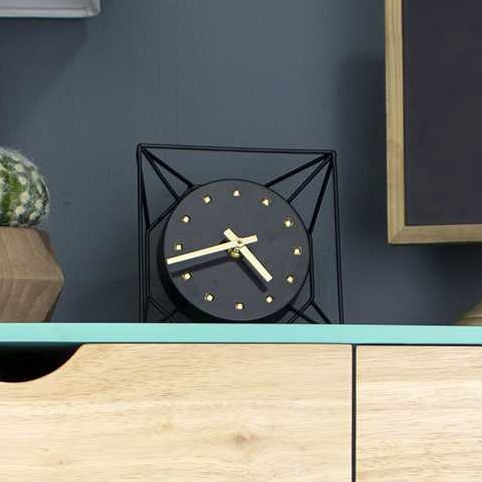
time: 4:42
